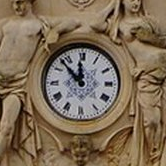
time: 11:52
